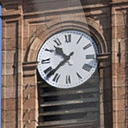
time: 10:37
